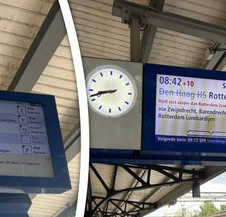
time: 8:42
